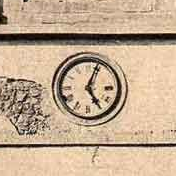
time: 5:03
